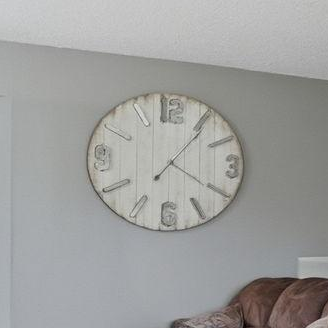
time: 7:06
